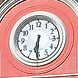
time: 6:30
